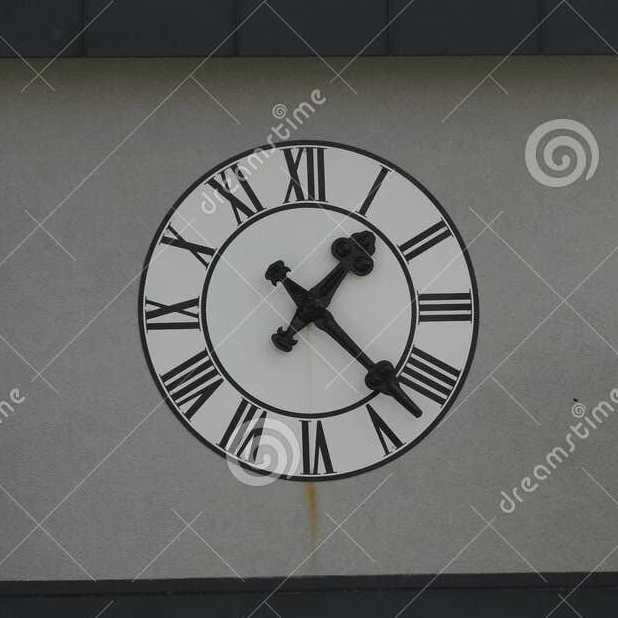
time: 1:22
